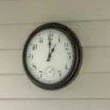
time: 1:00
